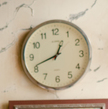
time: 12:41
